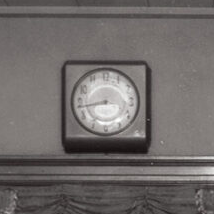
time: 8:43
